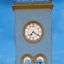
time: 7:20
